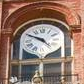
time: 4:49
